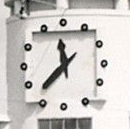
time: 11:37
